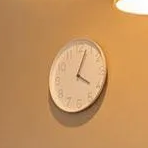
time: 4:04
